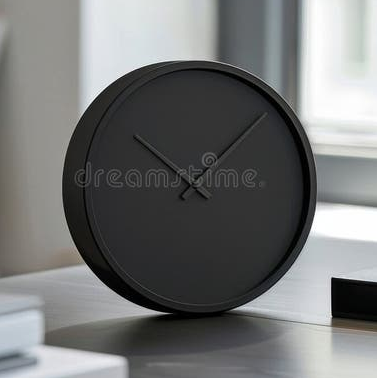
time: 10:07
